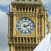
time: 2:23
